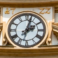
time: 2:03
